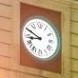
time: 8:49
